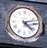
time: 4:12
